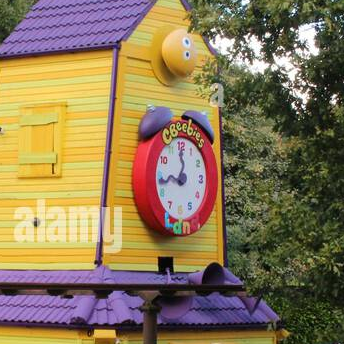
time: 8:59
